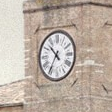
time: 10:35
